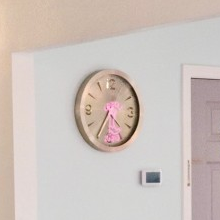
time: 4:35
